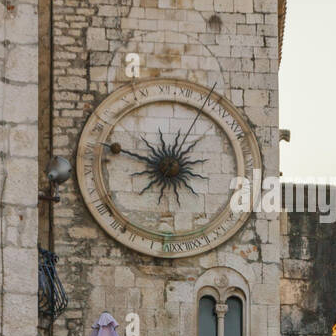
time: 12:48
